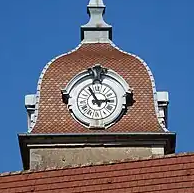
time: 2:54
